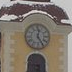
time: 12:24
